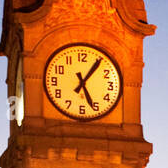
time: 5:05
